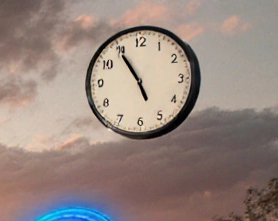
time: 10:54
